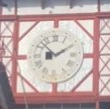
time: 8:09
